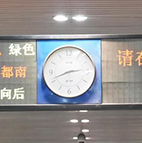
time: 2:41
